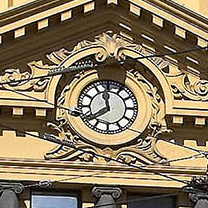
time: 11:38
